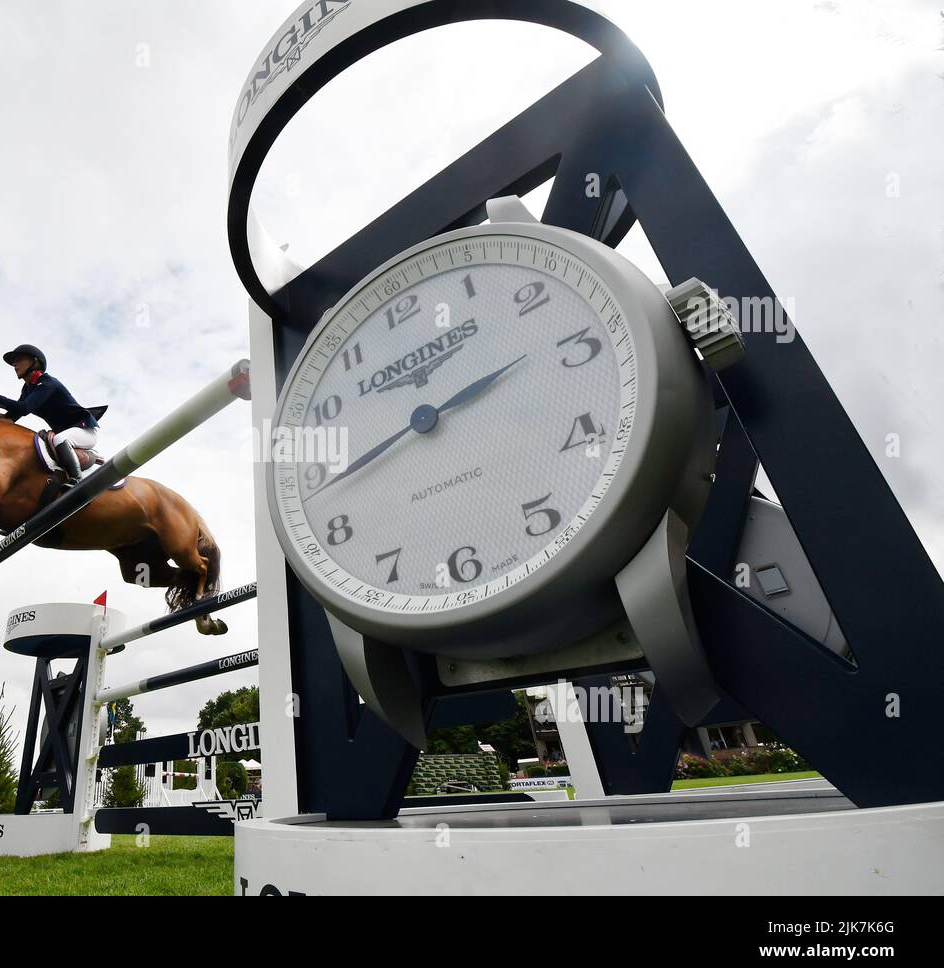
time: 2:42
